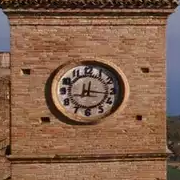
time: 12:16
